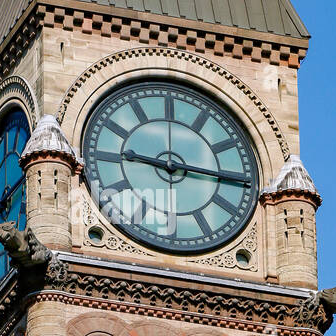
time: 9:15
